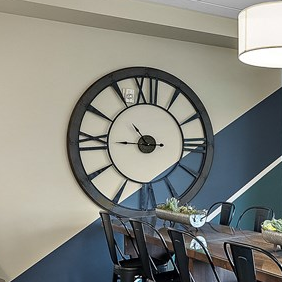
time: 10:45
